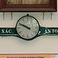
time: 9:49
